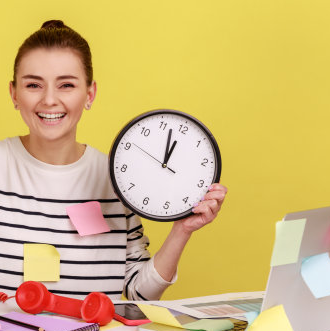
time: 11:56
